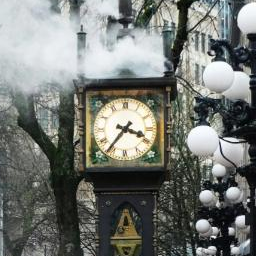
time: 3:36
